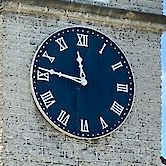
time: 11:46
